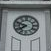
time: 7:48
